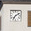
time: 7:09
